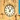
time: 11:07
